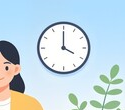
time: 3:59
